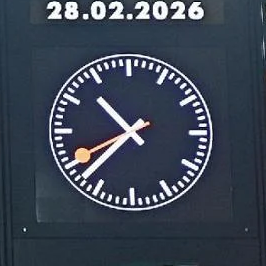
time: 10:37
